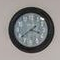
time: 3:39
